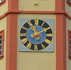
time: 11:09
